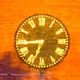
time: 6:44
